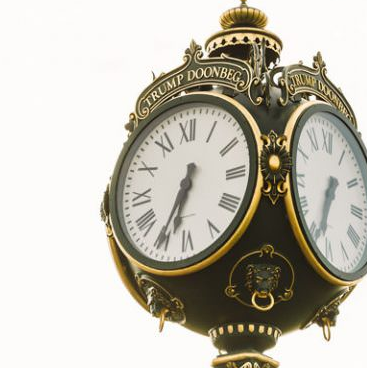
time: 6:35
